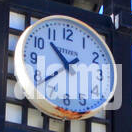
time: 10:38
